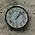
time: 1:08
